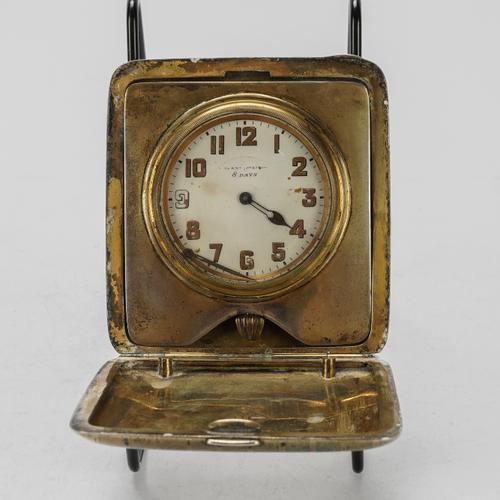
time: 4:20
